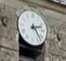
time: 2:23
